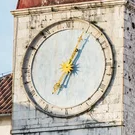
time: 7:04
